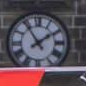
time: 1:54
